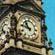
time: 10:47
